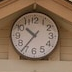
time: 10:36
